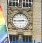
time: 2:44
